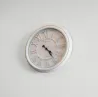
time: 4:23
